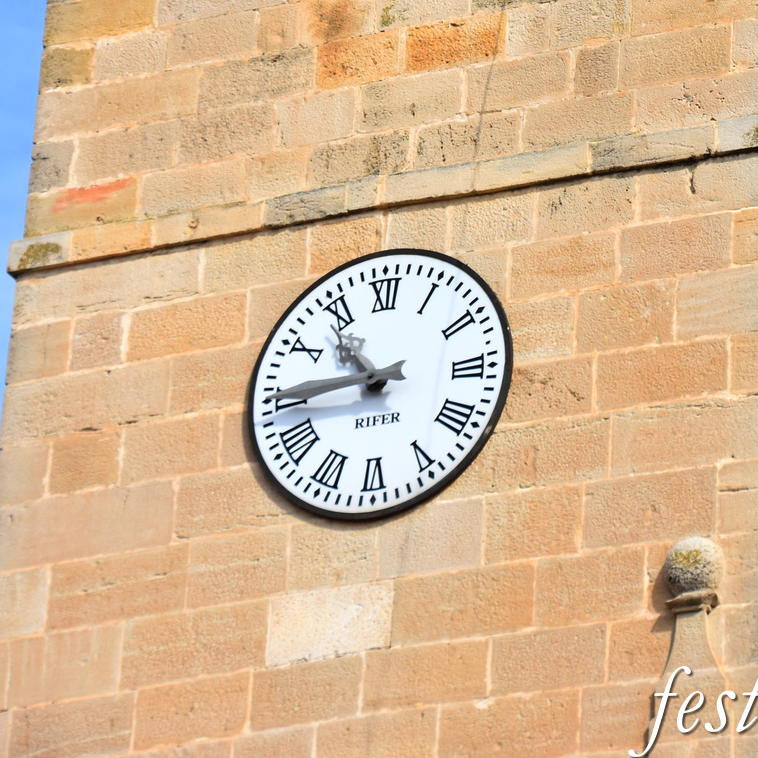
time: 10:44
